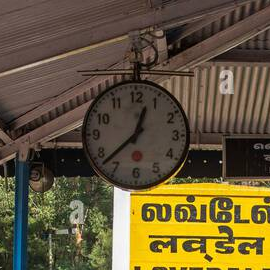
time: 12:37
